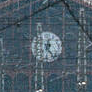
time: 6:23
